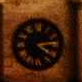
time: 4:13
